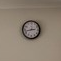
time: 2:42
